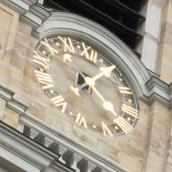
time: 5:08
